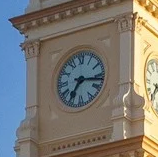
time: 7:16
